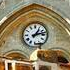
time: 1:12
